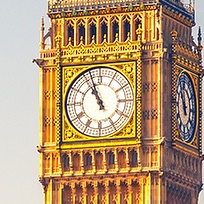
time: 10:56
